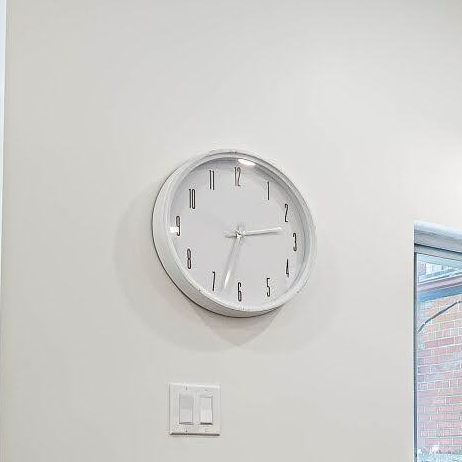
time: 2:32
